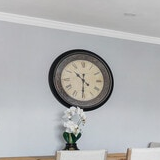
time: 10:30
